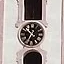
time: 10:34
